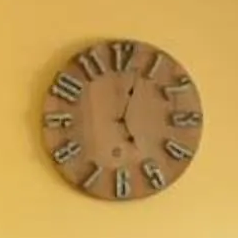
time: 5:03
